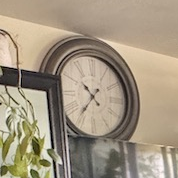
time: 10:36
